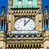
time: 12:06
